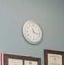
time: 11:17
